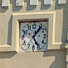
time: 5:06
